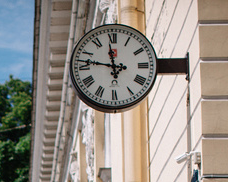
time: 11:46
